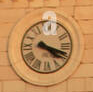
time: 4:18
